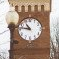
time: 10:47
